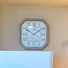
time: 1:49
